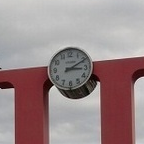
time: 3:10
